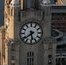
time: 5:38
